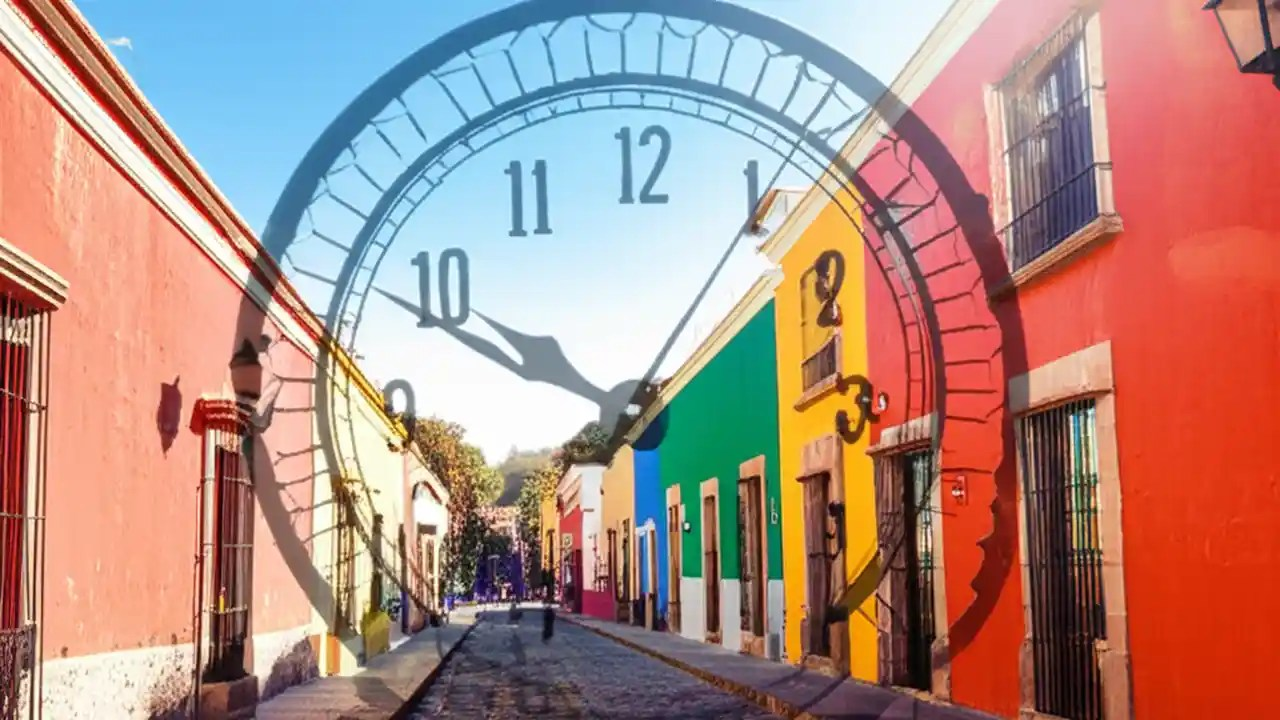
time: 9:48
